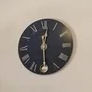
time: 12:29
